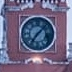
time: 7:07
